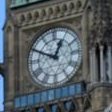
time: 12:49
